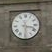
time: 3:29
